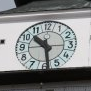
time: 10:28
